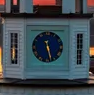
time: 5:27
